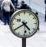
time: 4:40
